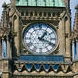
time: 1:18
